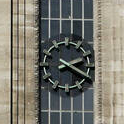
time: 2:19
